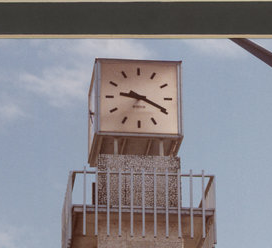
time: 9:19
